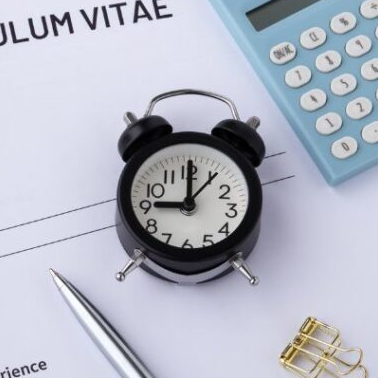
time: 9:00
